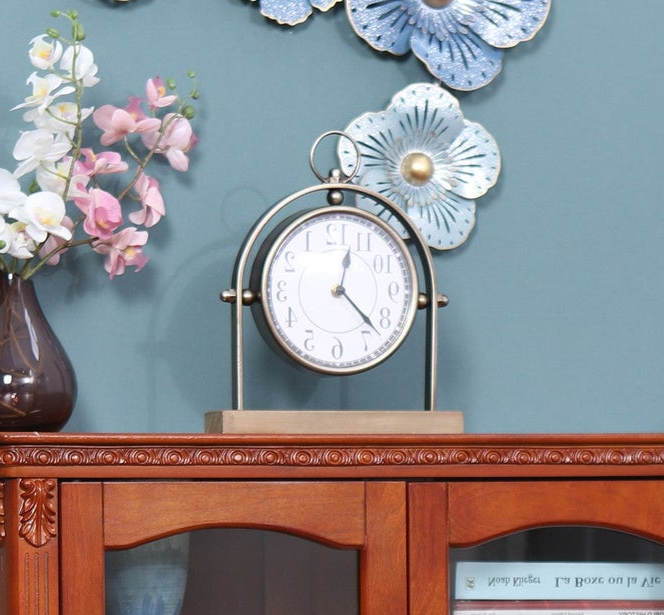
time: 12:22
